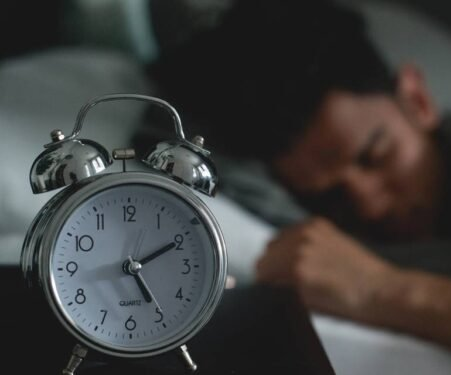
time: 5:10
